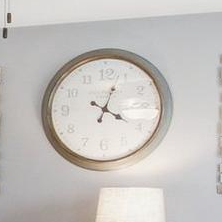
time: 4:03
